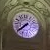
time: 7:39
